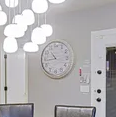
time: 10:43
